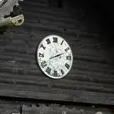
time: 2:11
